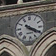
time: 4:19
